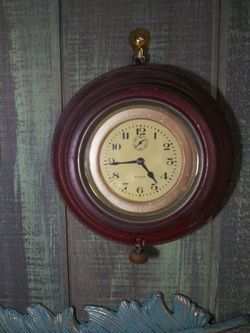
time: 4:44
